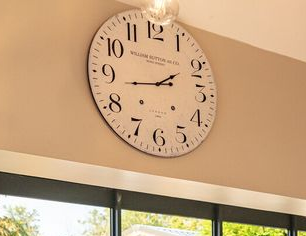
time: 1:43
